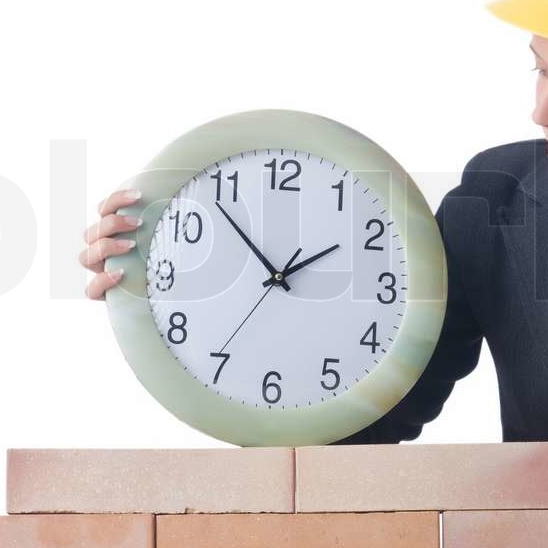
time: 1:53
